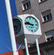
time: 9:45
